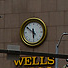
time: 5:50
